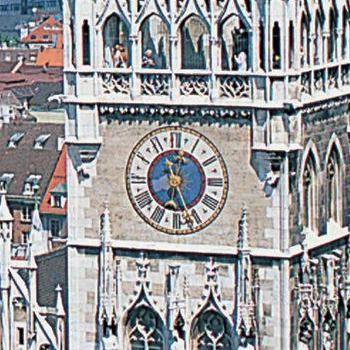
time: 12:26
